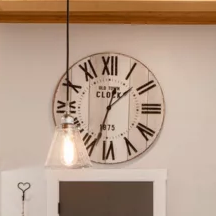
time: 1:33
